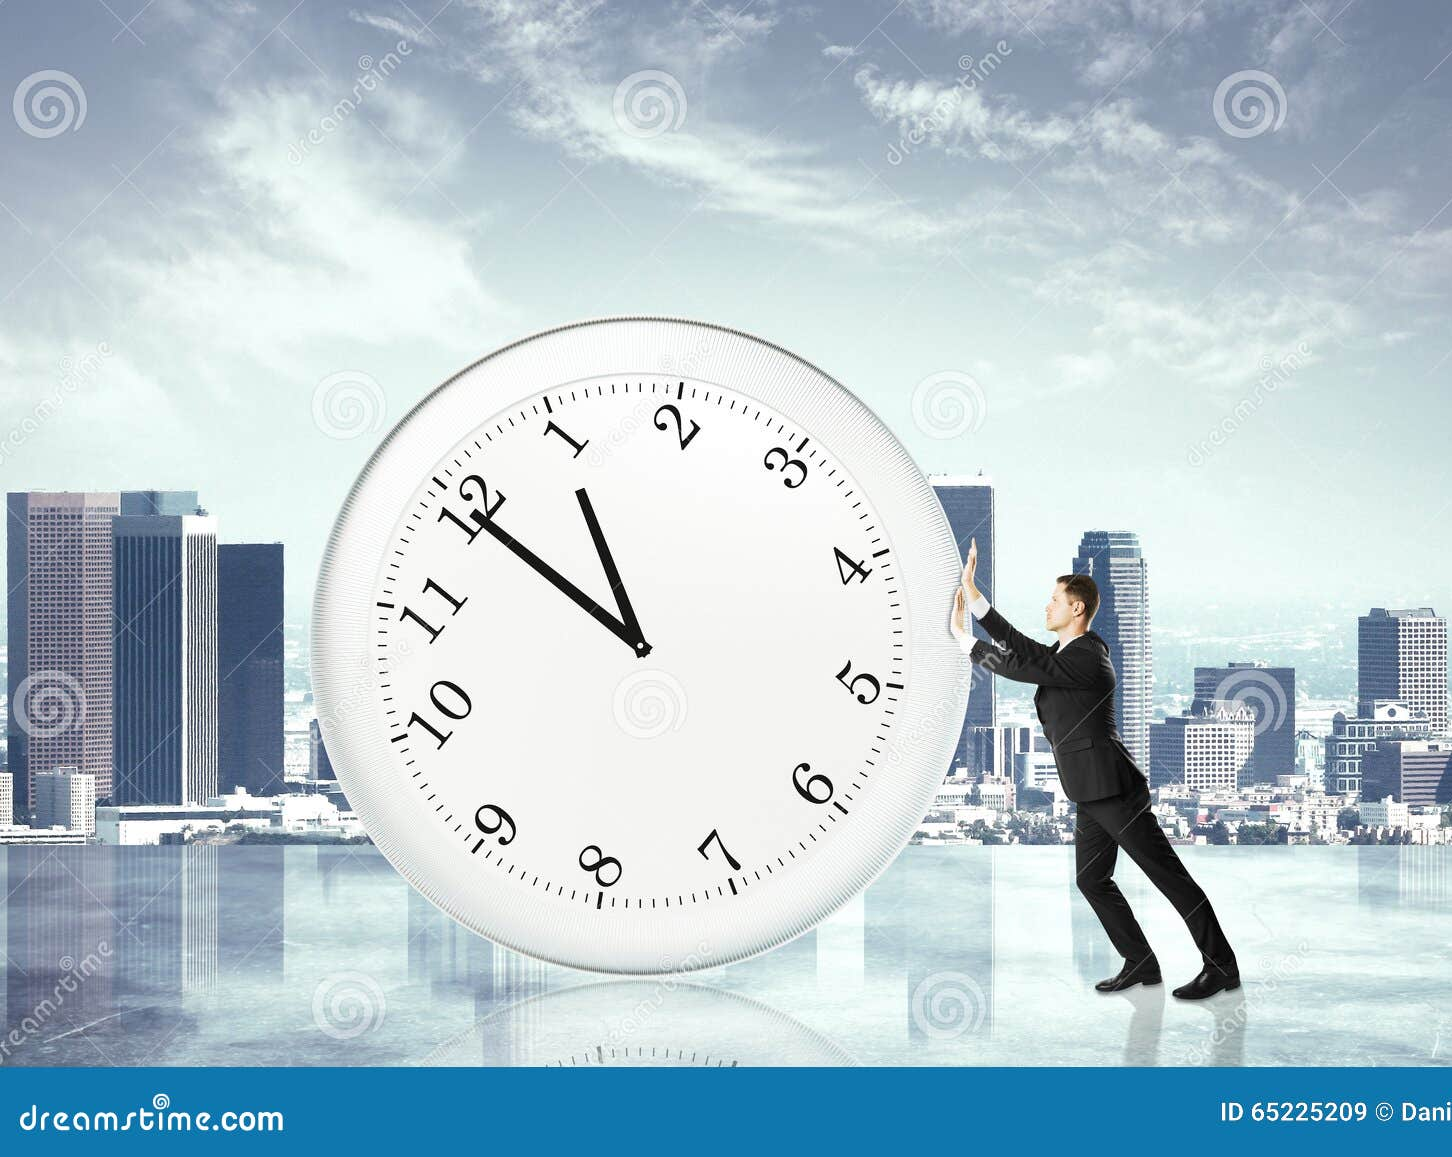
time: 10:49
